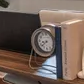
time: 8:38
